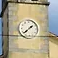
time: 1:38
